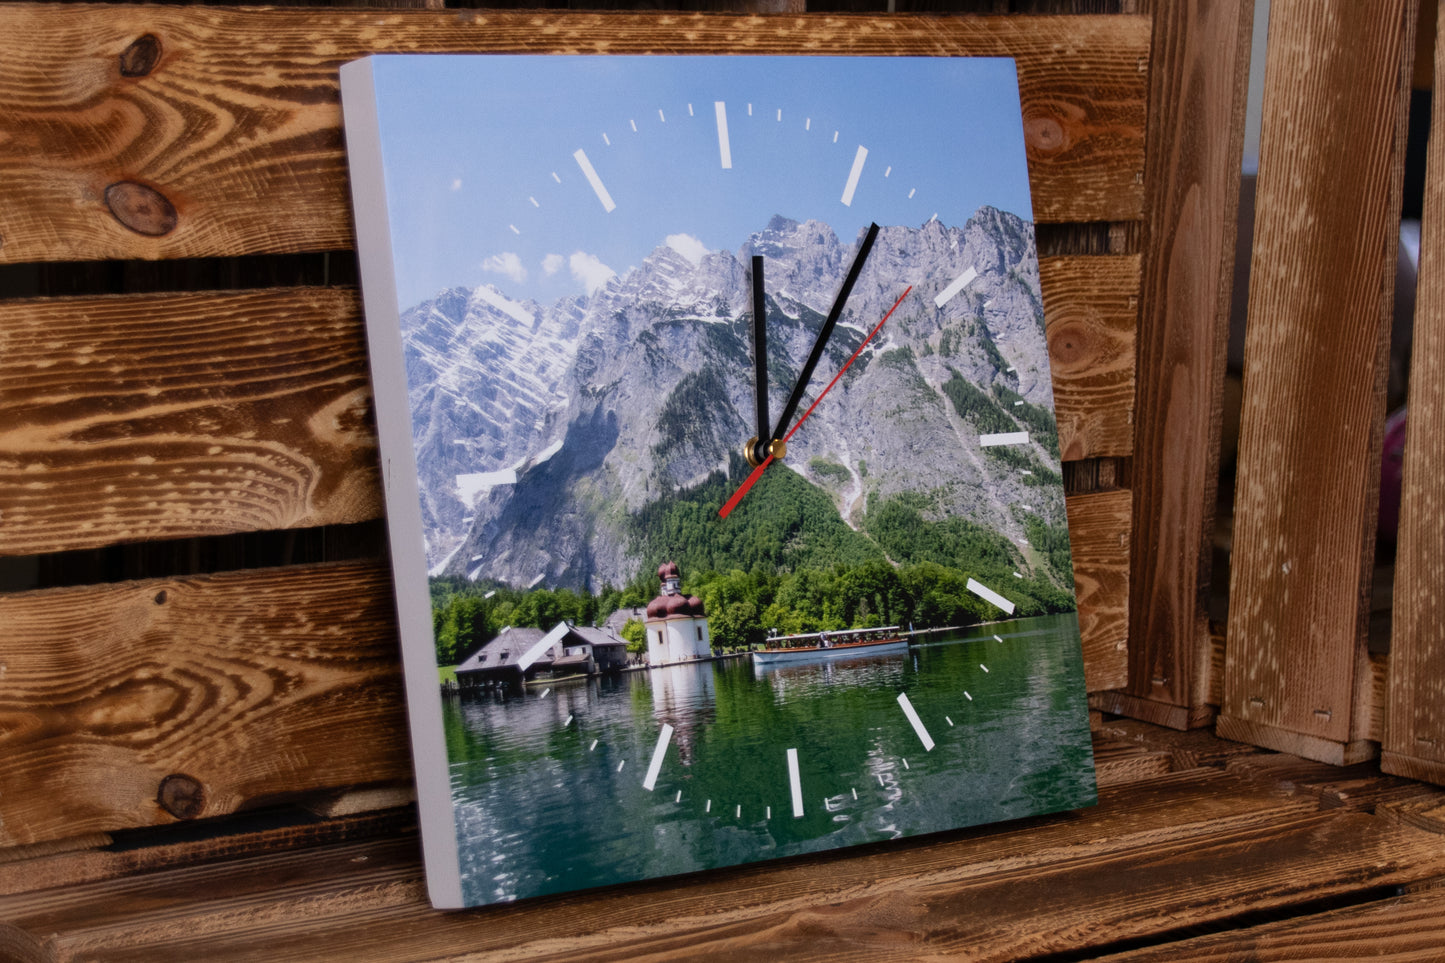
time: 12:06
